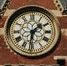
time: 1:31
